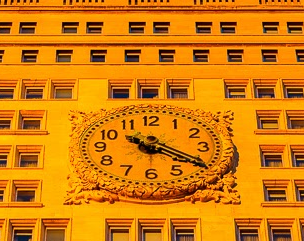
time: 4:20
